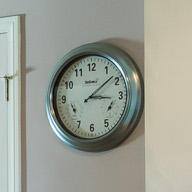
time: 3:08
